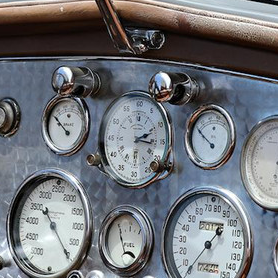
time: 2:16
